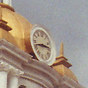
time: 2:42
